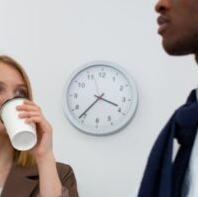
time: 3:36
